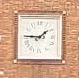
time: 1:46
